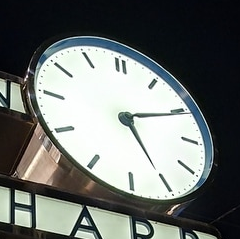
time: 5:10
